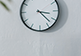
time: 3:22
